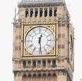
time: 12:28
